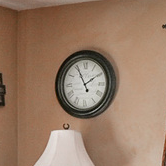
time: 1:55
